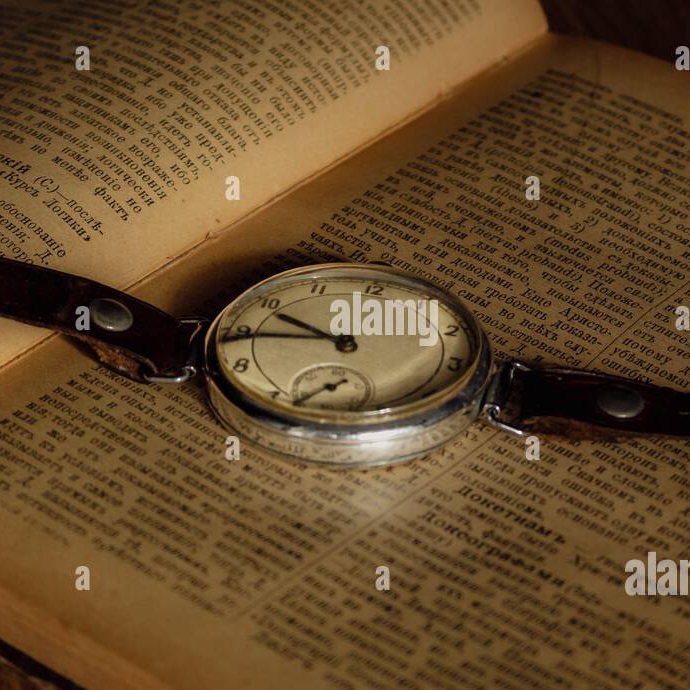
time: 9:44
